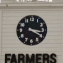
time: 3:20
